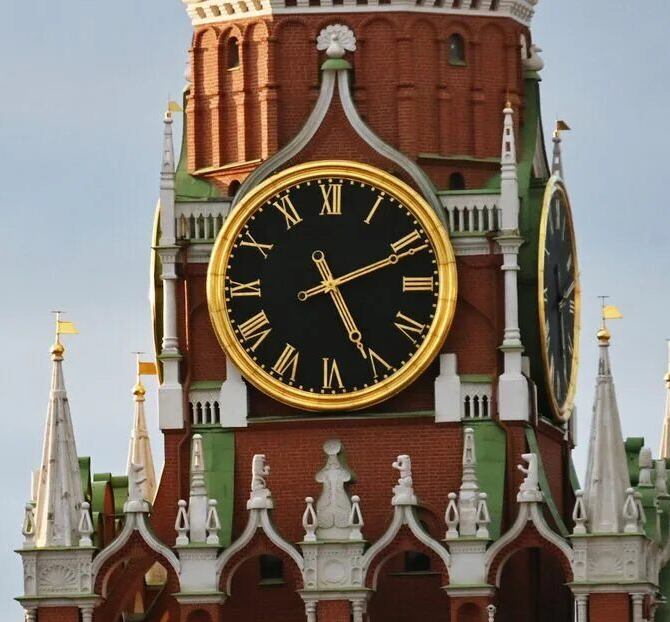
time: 5:11
